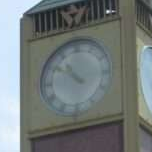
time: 10:50
